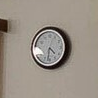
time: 4:31
